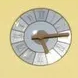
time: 5:14
